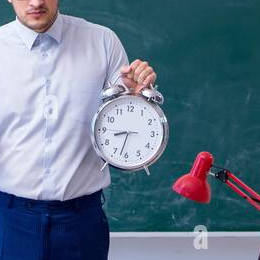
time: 8:32
